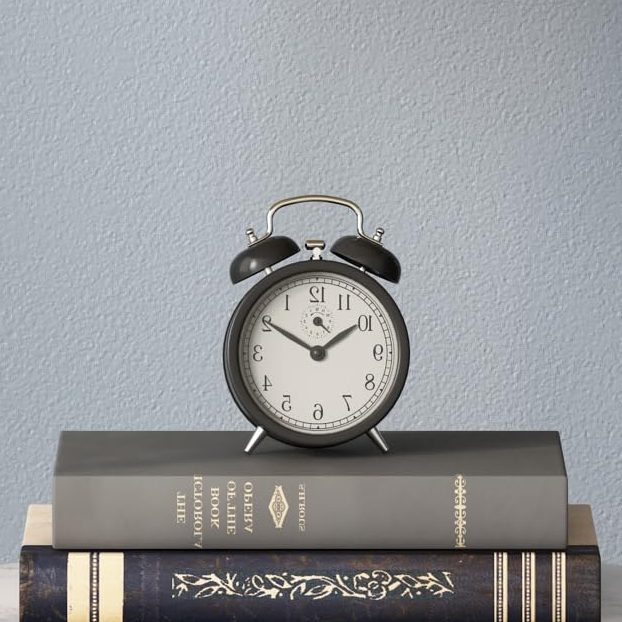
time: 1:50
